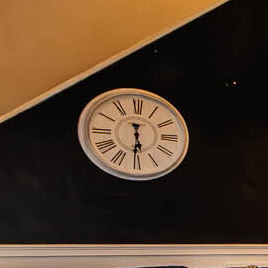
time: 5:30
